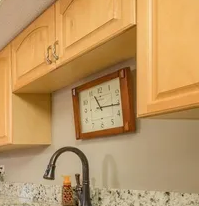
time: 11:16
